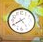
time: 4:40
